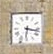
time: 6:17
